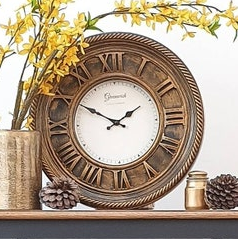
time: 1:50
